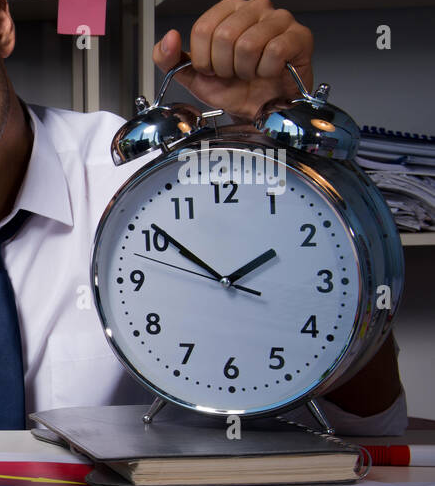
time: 1:51
